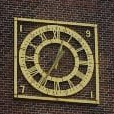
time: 7:03
